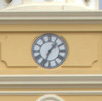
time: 1:33
